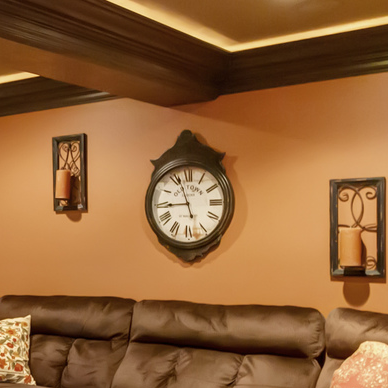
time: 8:56
